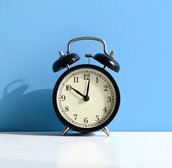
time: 10:01
